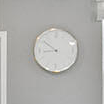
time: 8:50
